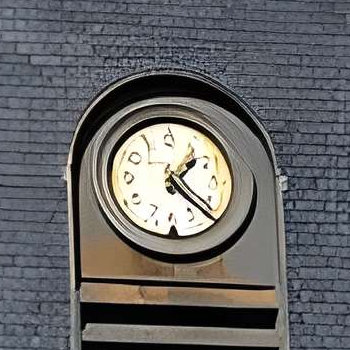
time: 1:22
